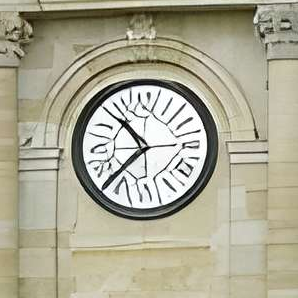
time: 10:37
